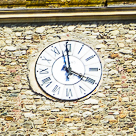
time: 3:59
